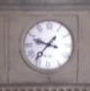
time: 9:36
